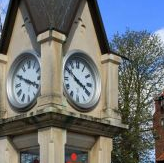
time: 3:50
